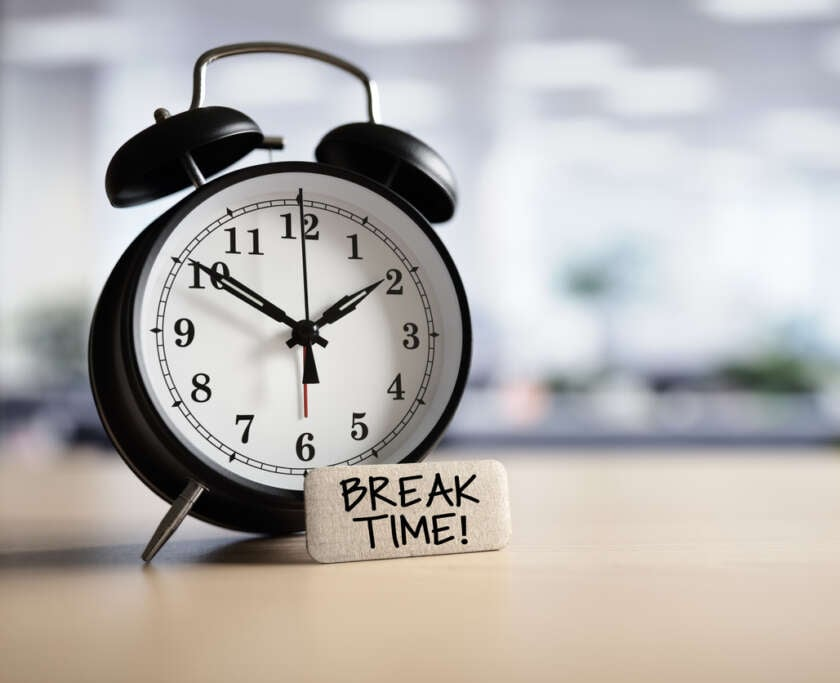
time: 1:50
